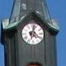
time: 4:02
